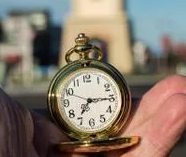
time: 7:15
